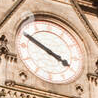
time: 3:50
